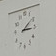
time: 3:09
